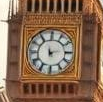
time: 11:13
